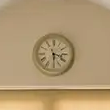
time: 3:29
